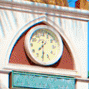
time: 7:30
